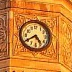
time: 4:40
